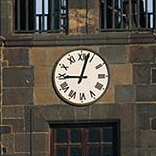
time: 9:02
